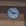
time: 2:52
